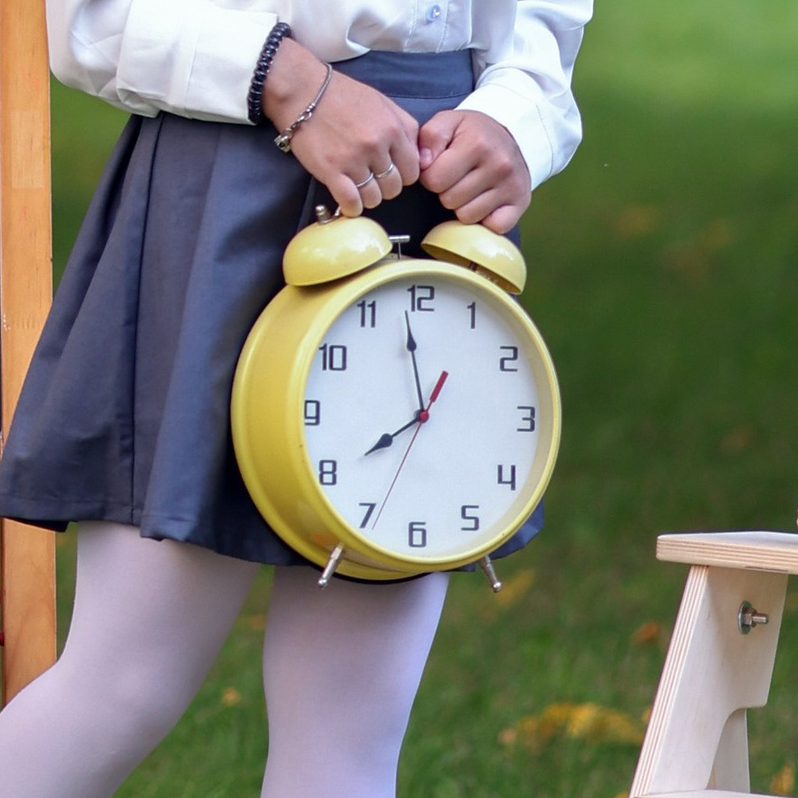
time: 7:58
